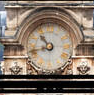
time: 10:42
